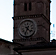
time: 4:33
